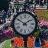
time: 1:50
